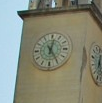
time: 12:24
